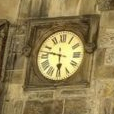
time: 5:46
